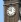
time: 11:51
